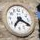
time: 7:19
